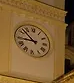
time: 8:52
